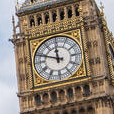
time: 11:48
